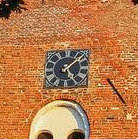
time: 5:08
